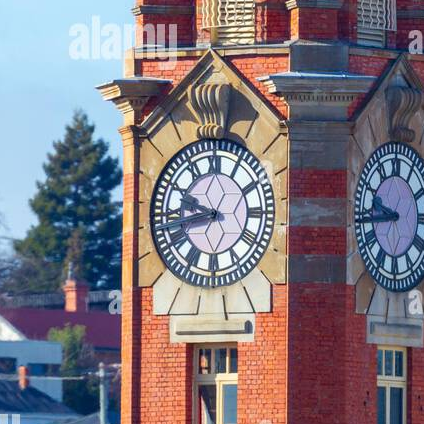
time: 9:43
